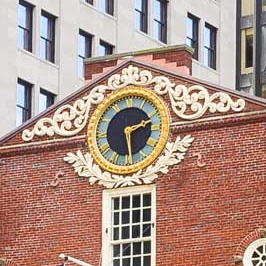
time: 2:28
